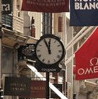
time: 11:55
